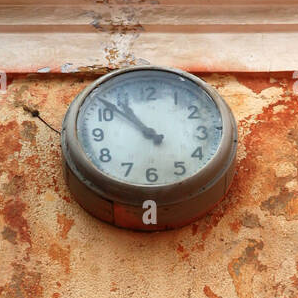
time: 10:52
